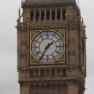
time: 1:35
